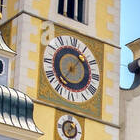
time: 7:06
